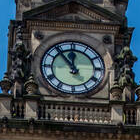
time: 11:53
